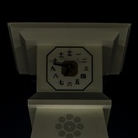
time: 6:47
